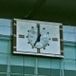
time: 7:00
